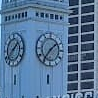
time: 1:36
